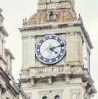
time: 4:12
